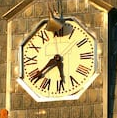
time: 5:38
